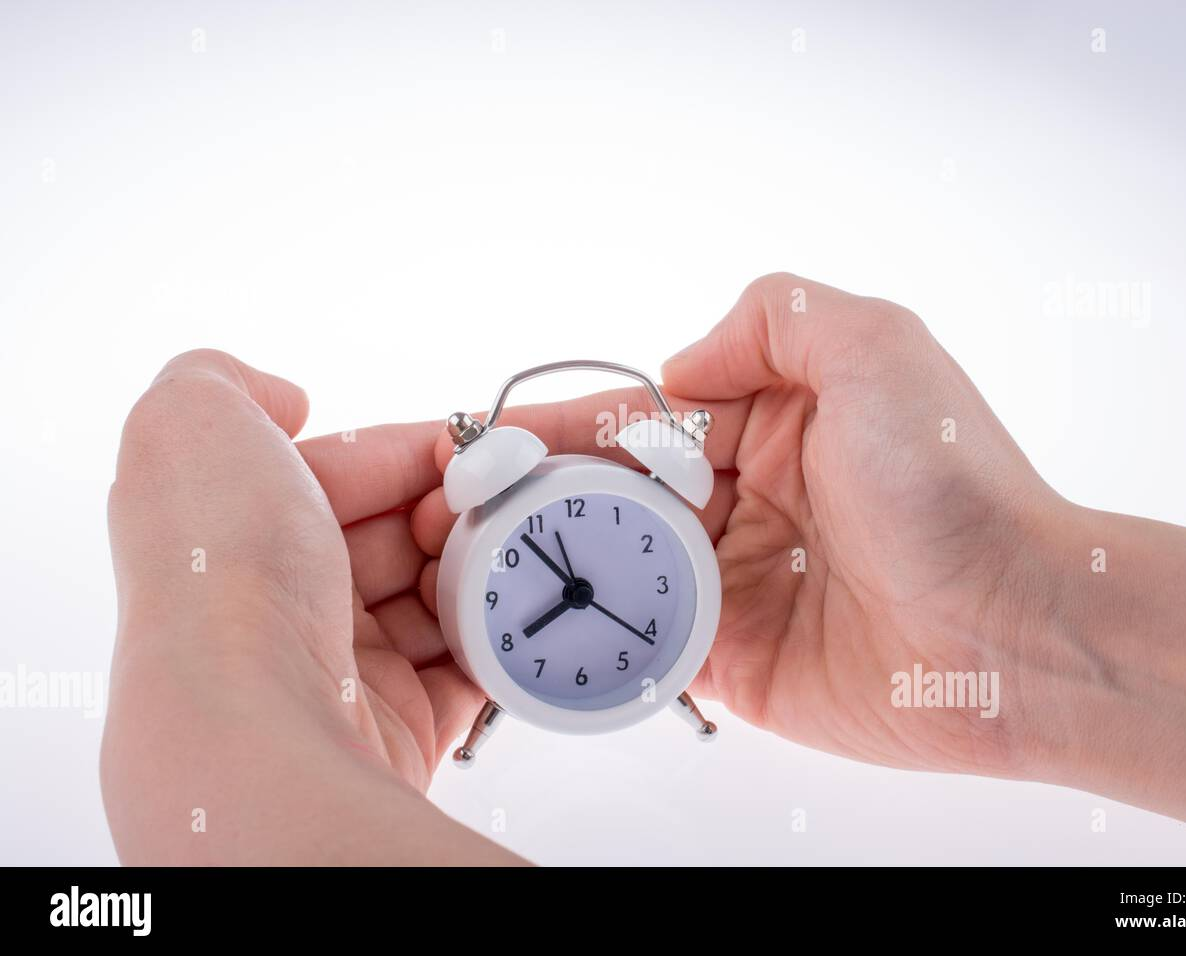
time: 7:53
